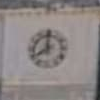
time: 7:59
